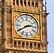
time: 2:40
